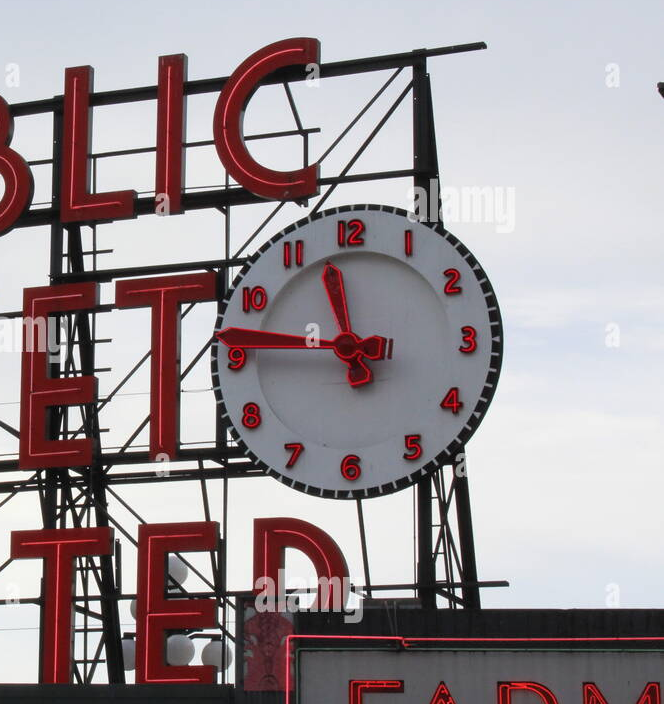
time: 11:46
